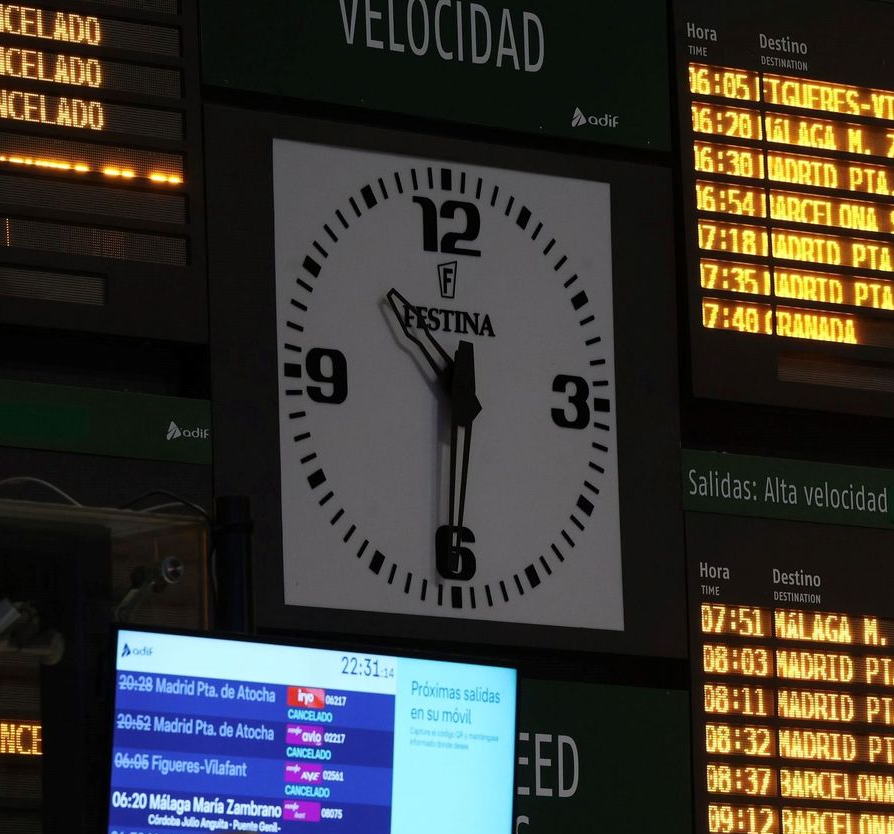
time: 10:31
